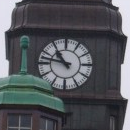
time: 10:47
